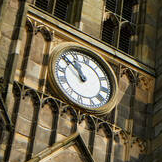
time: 10:50
